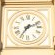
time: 7:11
